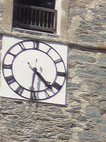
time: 4:31
